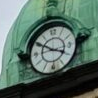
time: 3:50
